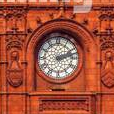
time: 2:12
